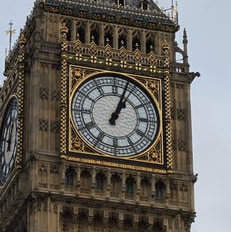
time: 1:03
